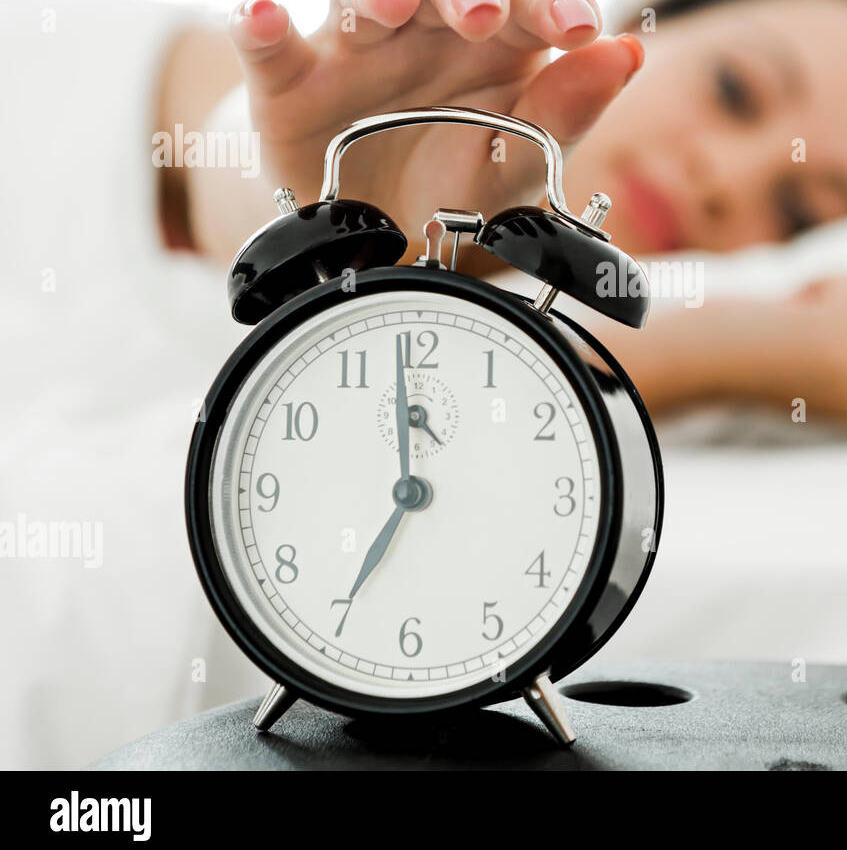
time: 6:58
